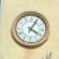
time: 4:04
